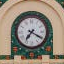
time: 7:19
